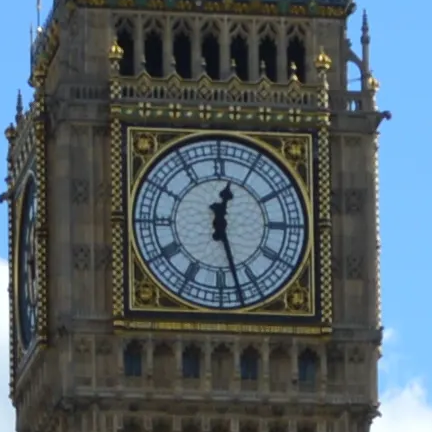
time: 12:27
